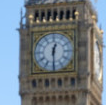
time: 12:29
